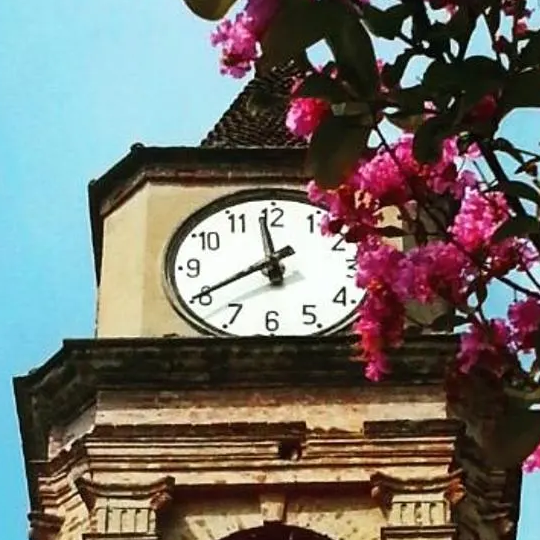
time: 11:40
